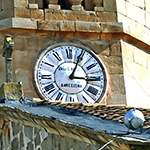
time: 3:04
